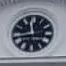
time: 11:42
